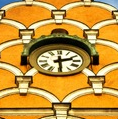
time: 2:29
